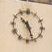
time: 10:26
